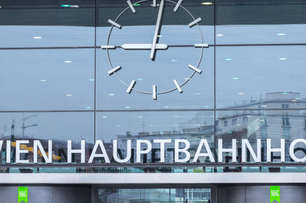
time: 9:01
